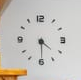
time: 4:29
